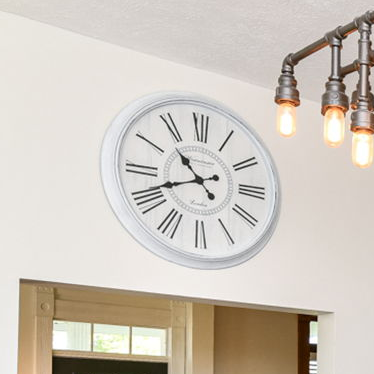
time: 10:41
